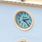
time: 2:23
